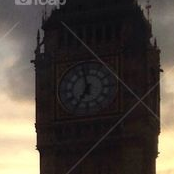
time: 6:58
